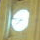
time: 7:45
